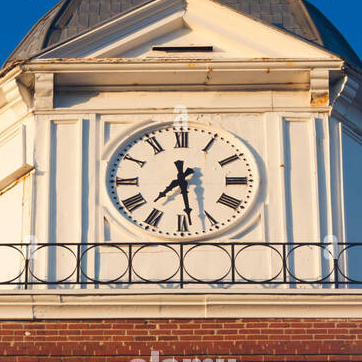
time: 7:28
